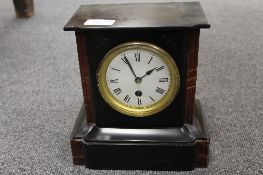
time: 1:55
